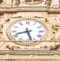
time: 8:27
